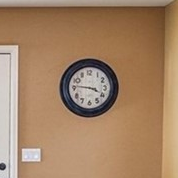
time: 3:46
